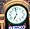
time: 6:58
